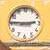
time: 2:46
